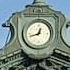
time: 12:42
